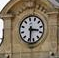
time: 3:32
